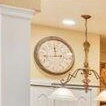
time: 11:43
